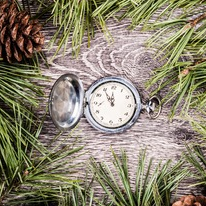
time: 11:55
